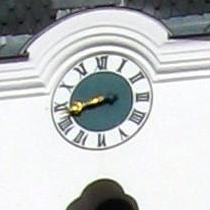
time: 8:42
